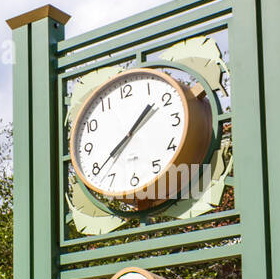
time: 1:39
